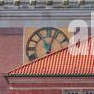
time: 11:03
